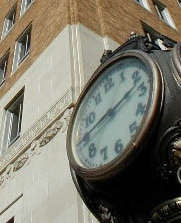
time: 8:12
